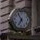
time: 6:54
